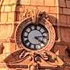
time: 4:13
